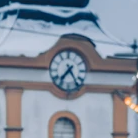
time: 7:24
